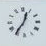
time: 12:36
